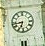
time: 6:42
